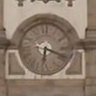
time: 6:18
